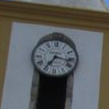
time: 7:16
